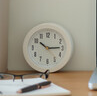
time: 10:14
